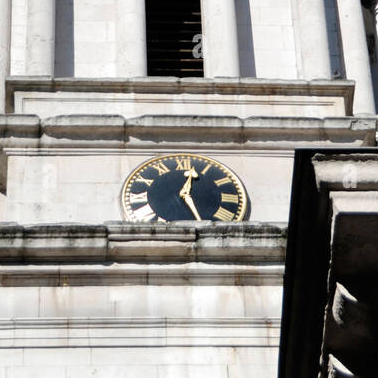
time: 12:26
